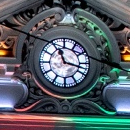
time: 11:17
